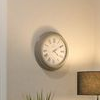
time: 4:09
